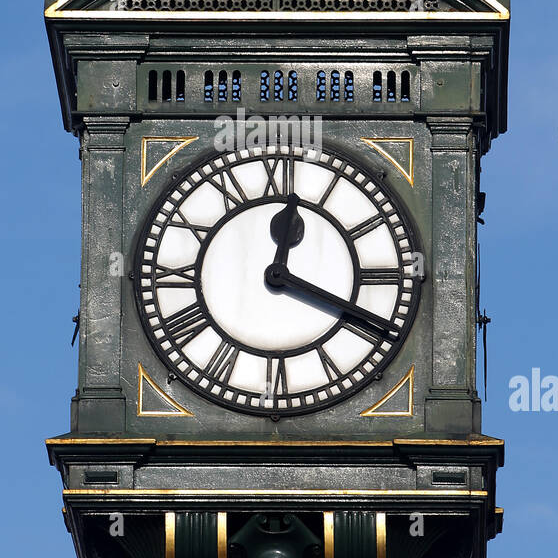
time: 12:19
